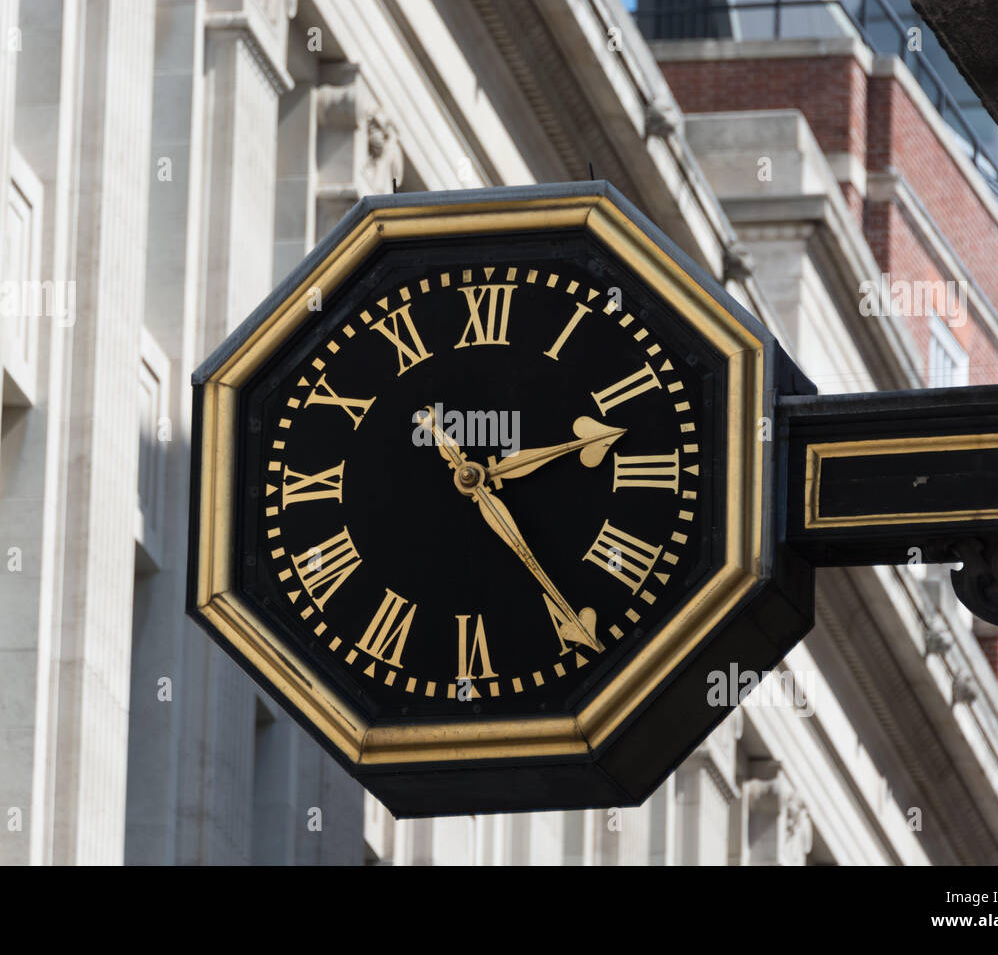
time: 2:24
